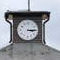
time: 3:14
